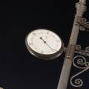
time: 11:26
